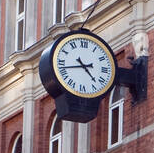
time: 4:42
